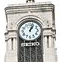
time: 1:02
